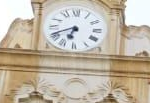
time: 6:41
